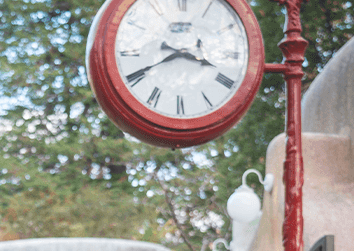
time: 3:40
